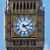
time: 2:23
